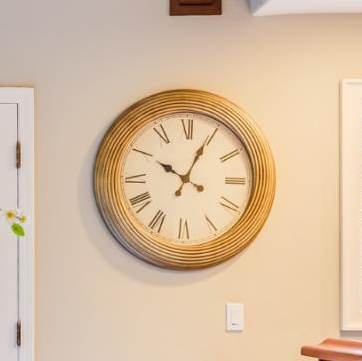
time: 10:04
